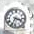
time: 3:34
